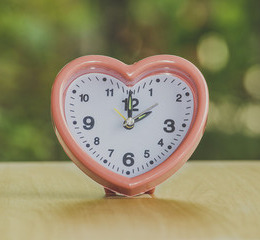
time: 2:00
